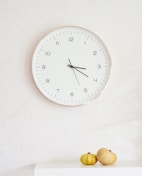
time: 3:20
